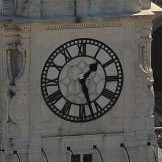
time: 1:26
